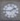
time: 1:45
